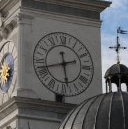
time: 5:42
